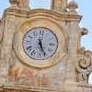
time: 5:26
